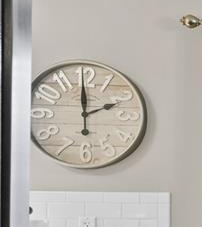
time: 1:59
